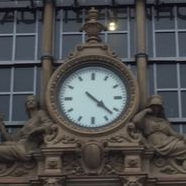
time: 4:22
